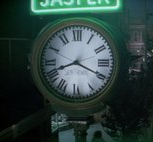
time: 8:19
